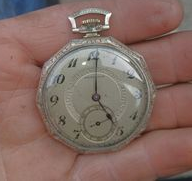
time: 5:00
